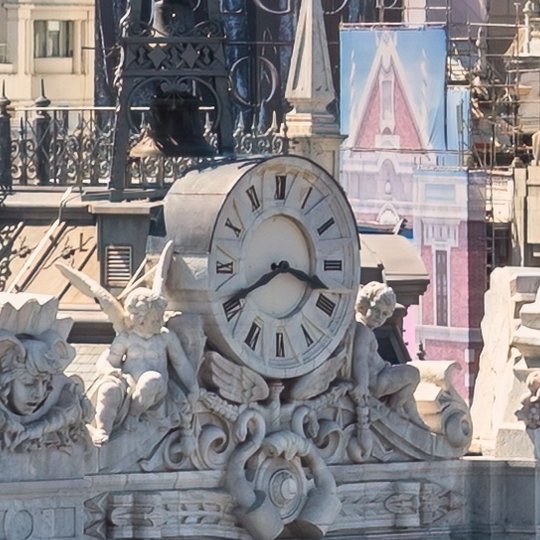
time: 3:40
